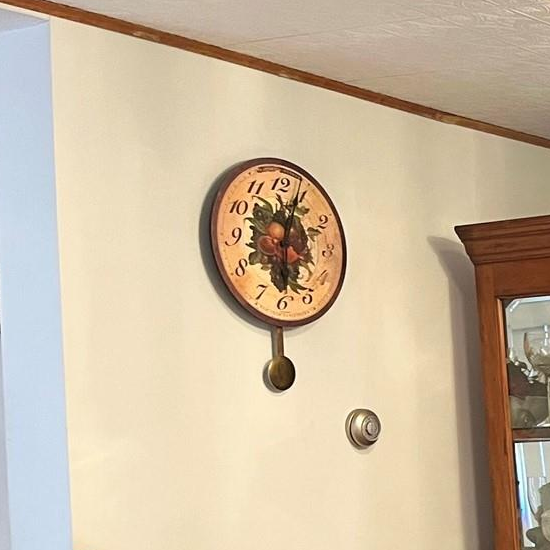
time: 6:03
